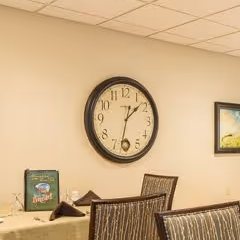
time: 1:32
